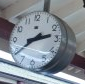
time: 2:38
